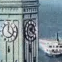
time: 1:20
